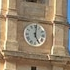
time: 5:01
